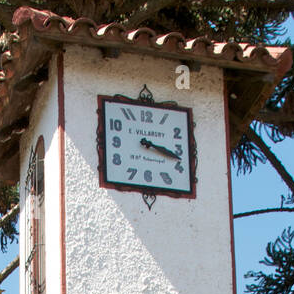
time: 3:17
